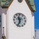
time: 11:33
